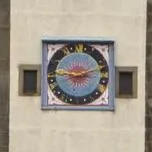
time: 9:12
